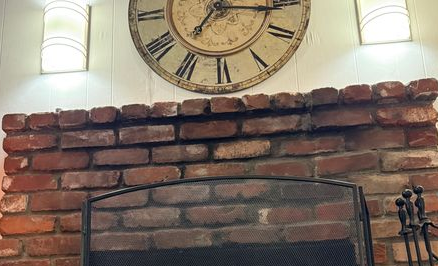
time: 7:15
